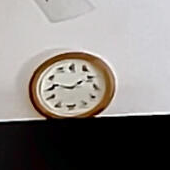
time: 1:46
